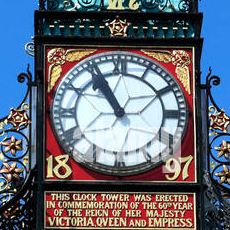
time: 10:55
